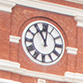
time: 11:01
